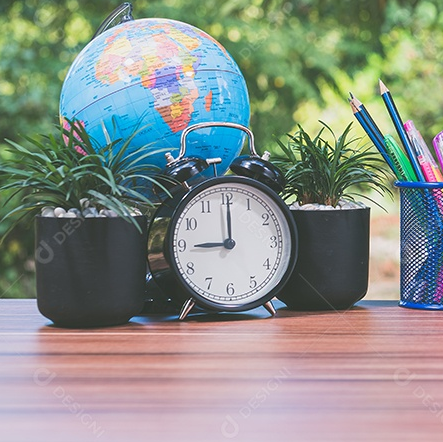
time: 9:00
